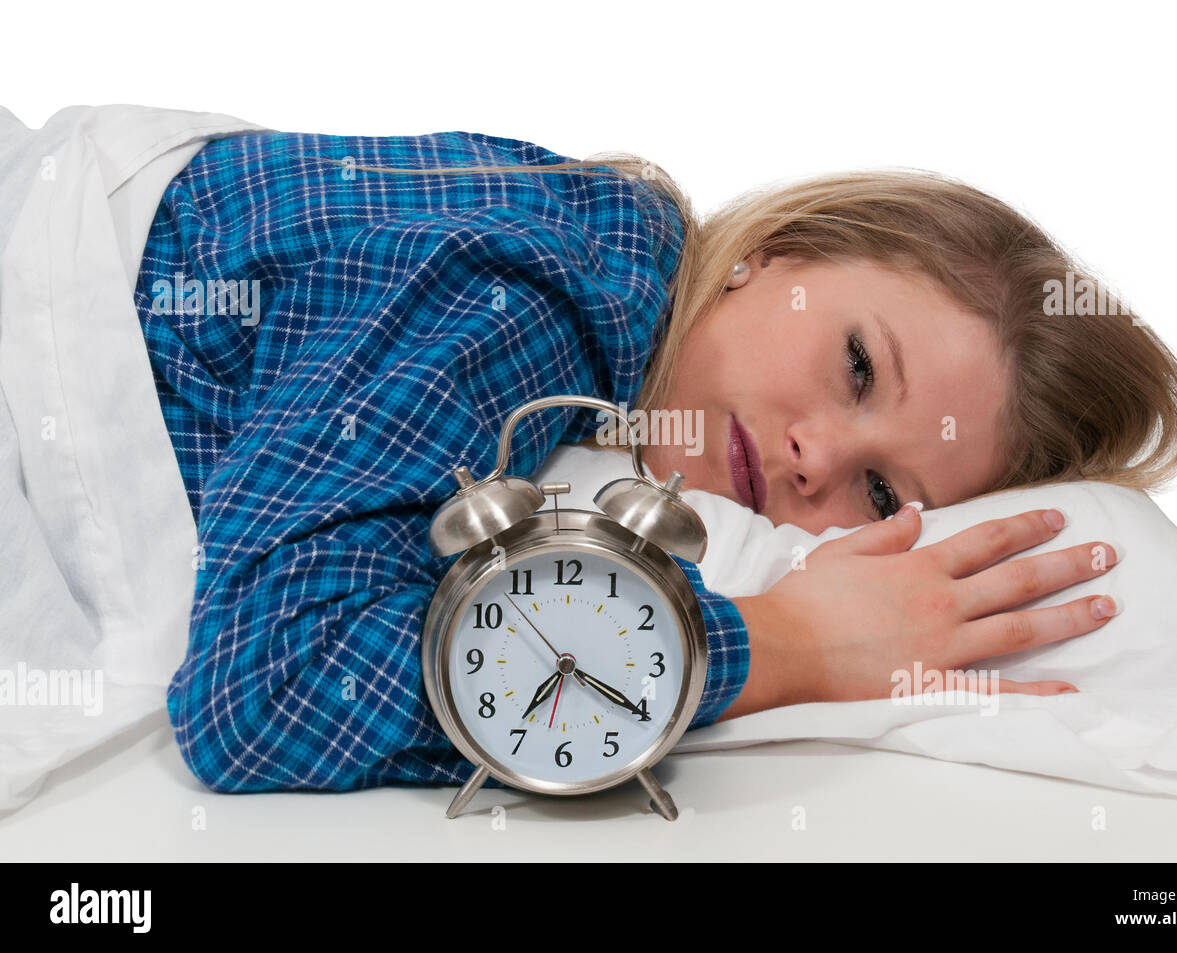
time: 7:20
